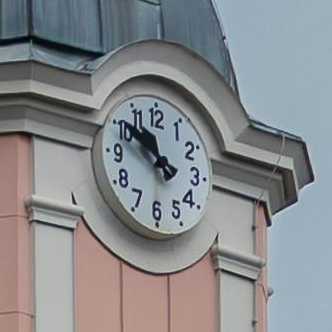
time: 10:50
